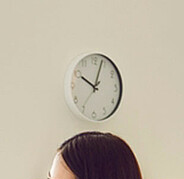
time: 10:03
